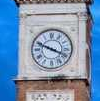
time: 3:48
